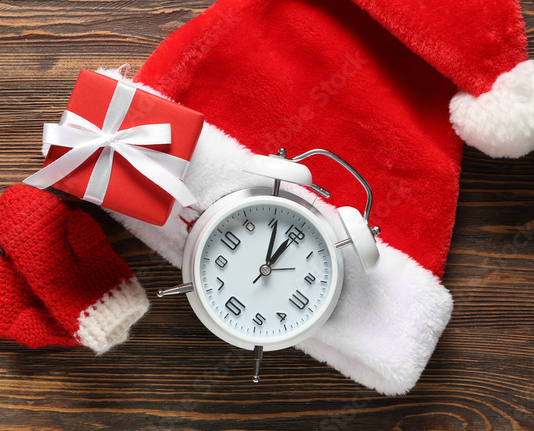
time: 1:00
